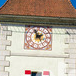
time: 1:56
